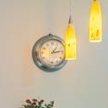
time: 1:13
